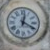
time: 12:19
